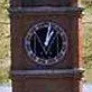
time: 1:02
